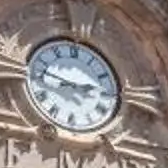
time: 2:47
